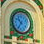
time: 10:35
